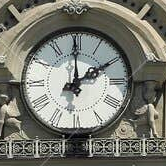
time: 1:59
